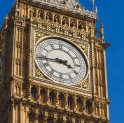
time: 3:43
